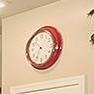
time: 10:34
